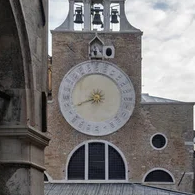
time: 8:41
